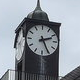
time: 2:25
